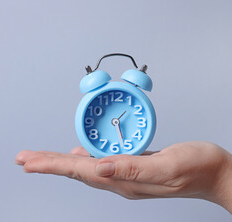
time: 1:26
